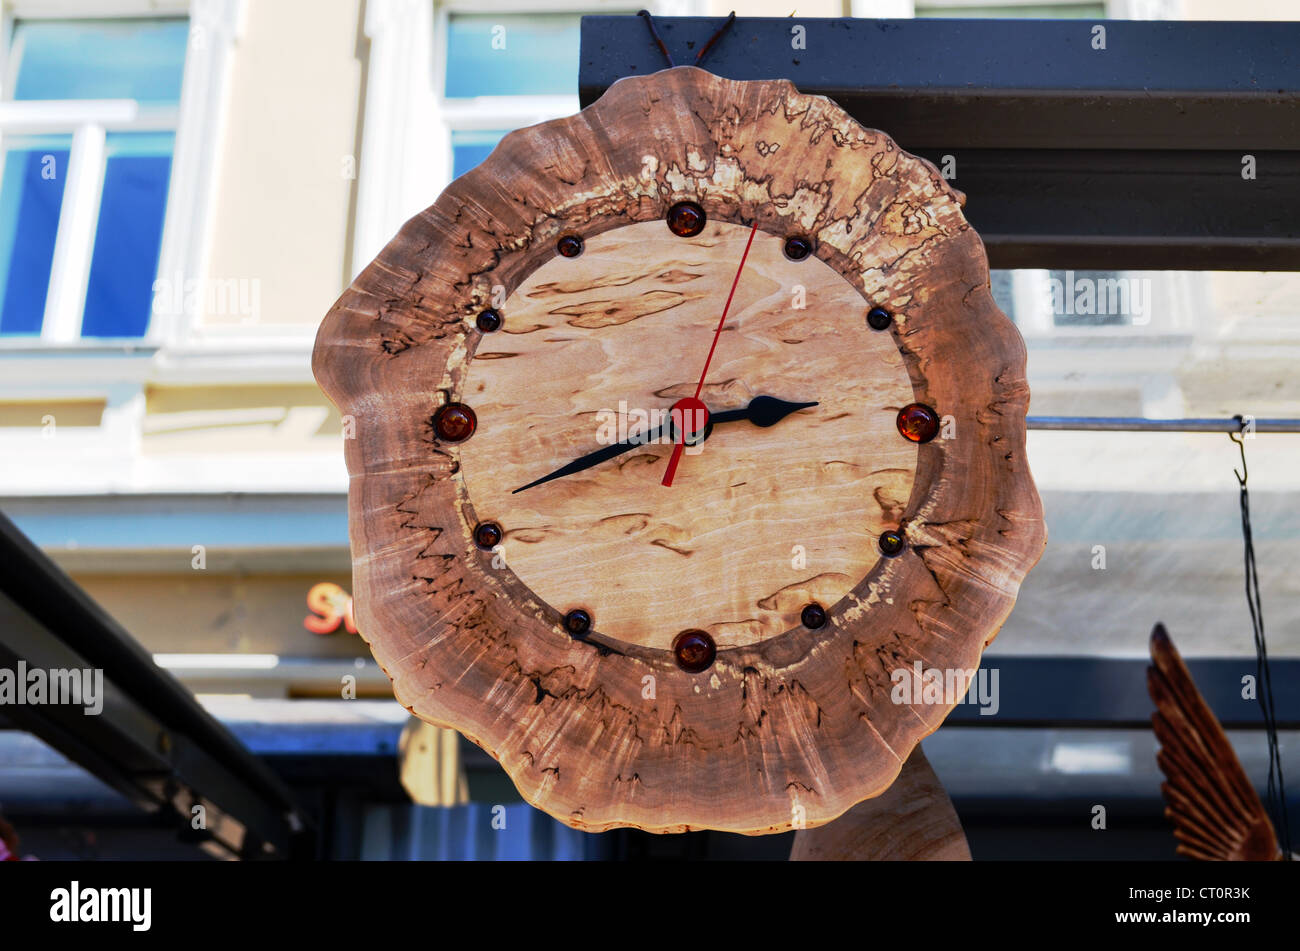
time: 2:41
